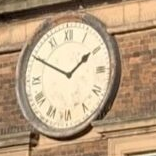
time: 1:50
